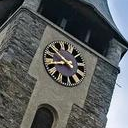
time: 8:49
